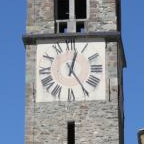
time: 12:24
